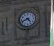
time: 4:41
